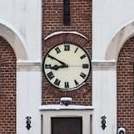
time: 8:50
